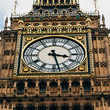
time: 3:28
